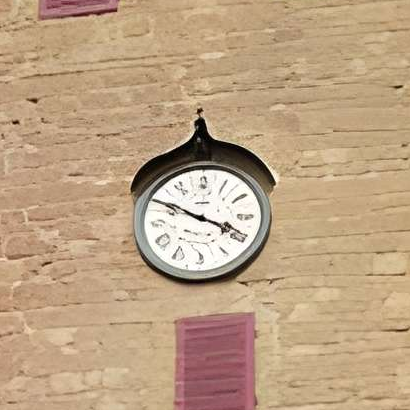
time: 3:49
